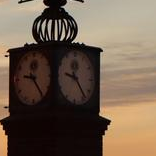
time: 12:23
